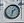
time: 1:32
